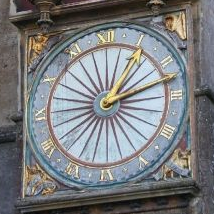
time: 1:12
